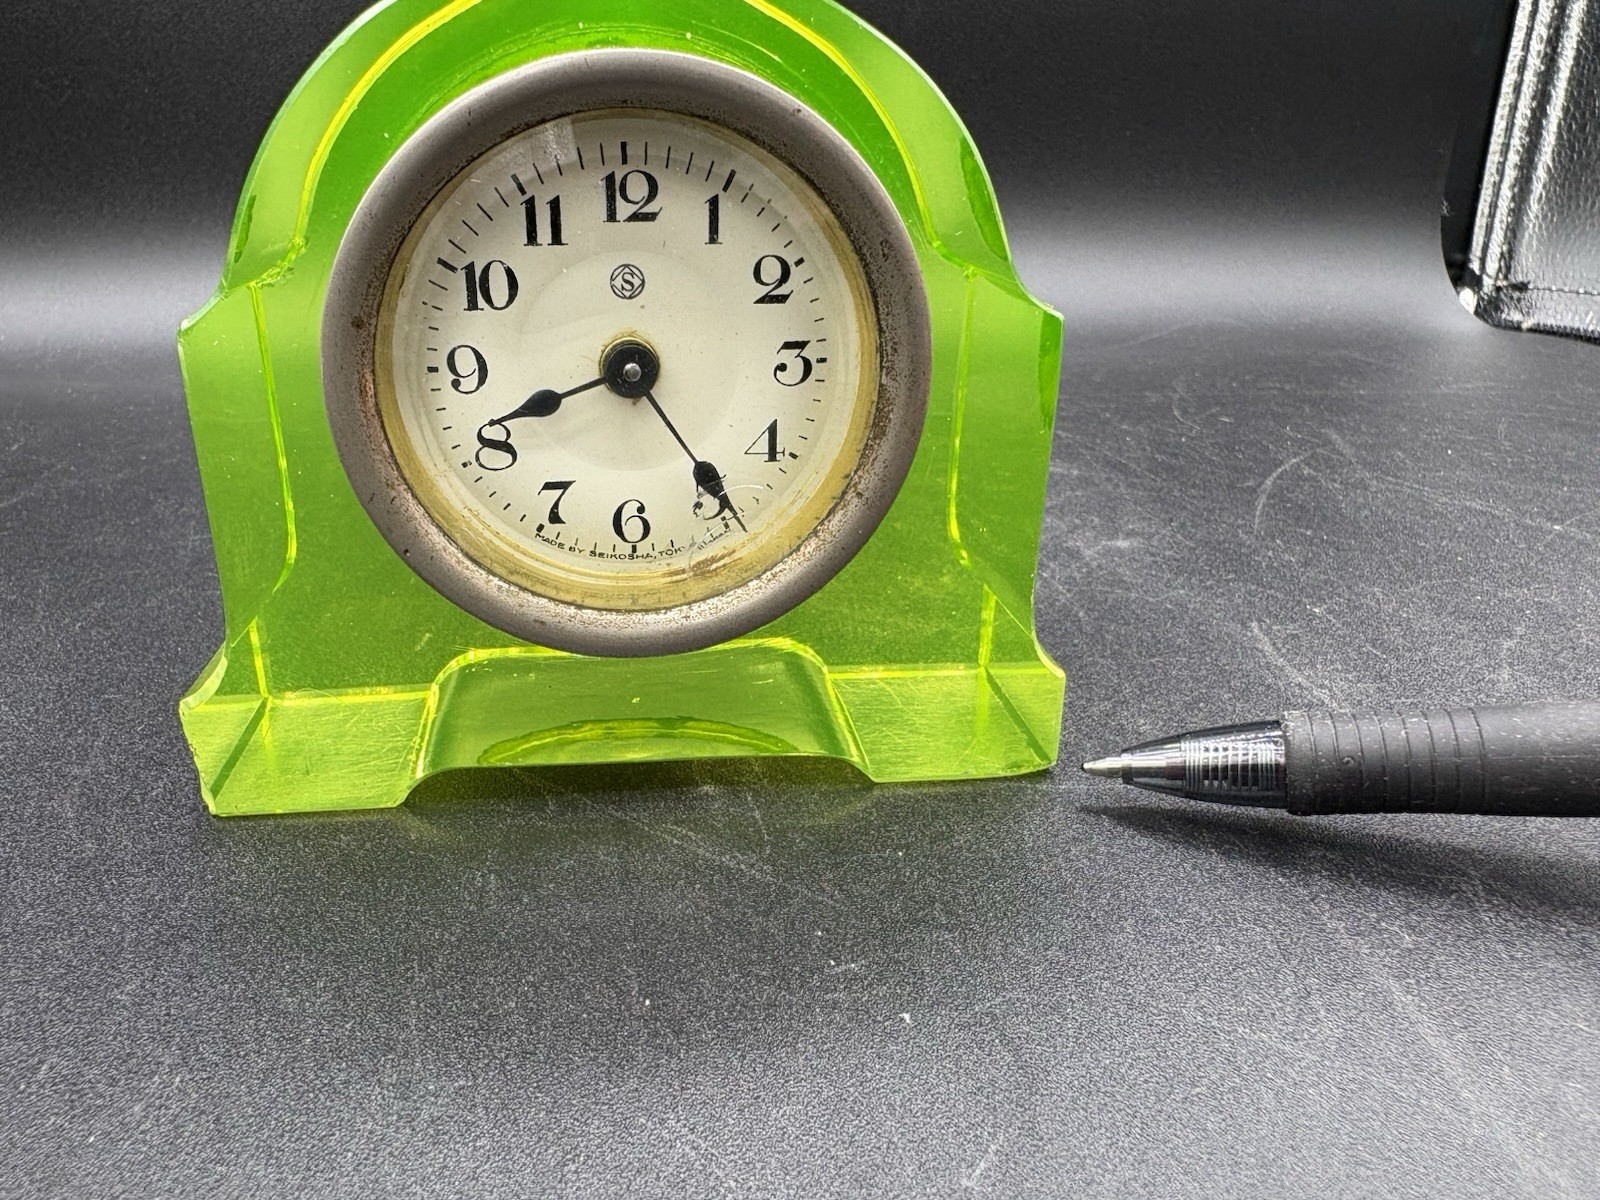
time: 8:23
